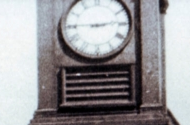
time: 2:45
